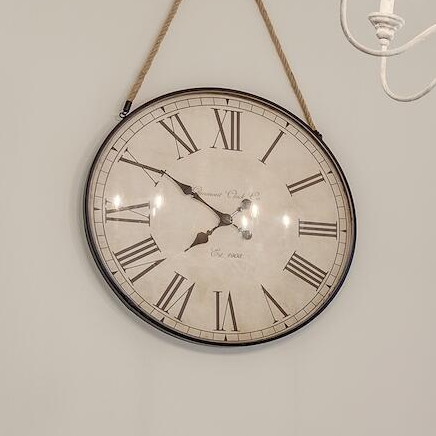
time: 7:50
